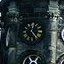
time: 12:23
